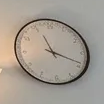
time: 11:18
